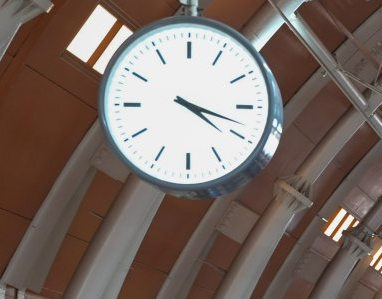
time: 4:18
